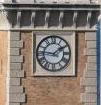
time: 1:46
